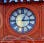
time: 3:04
